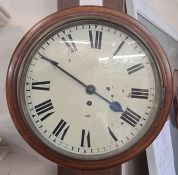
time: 3:50
